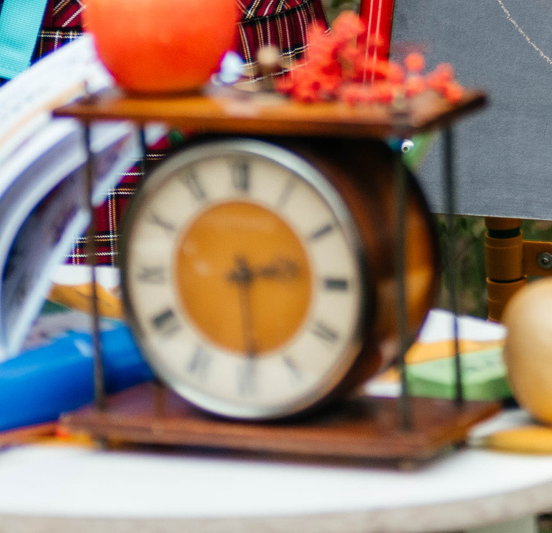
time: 2:29
